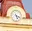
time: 5:18
